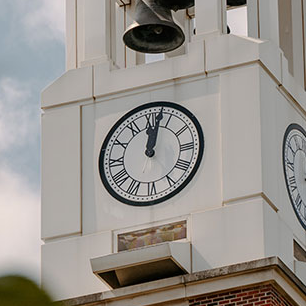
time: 12:02
